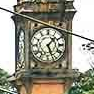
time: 1:26
